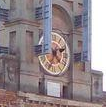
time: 4:34
